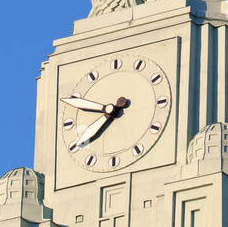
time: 7:48
